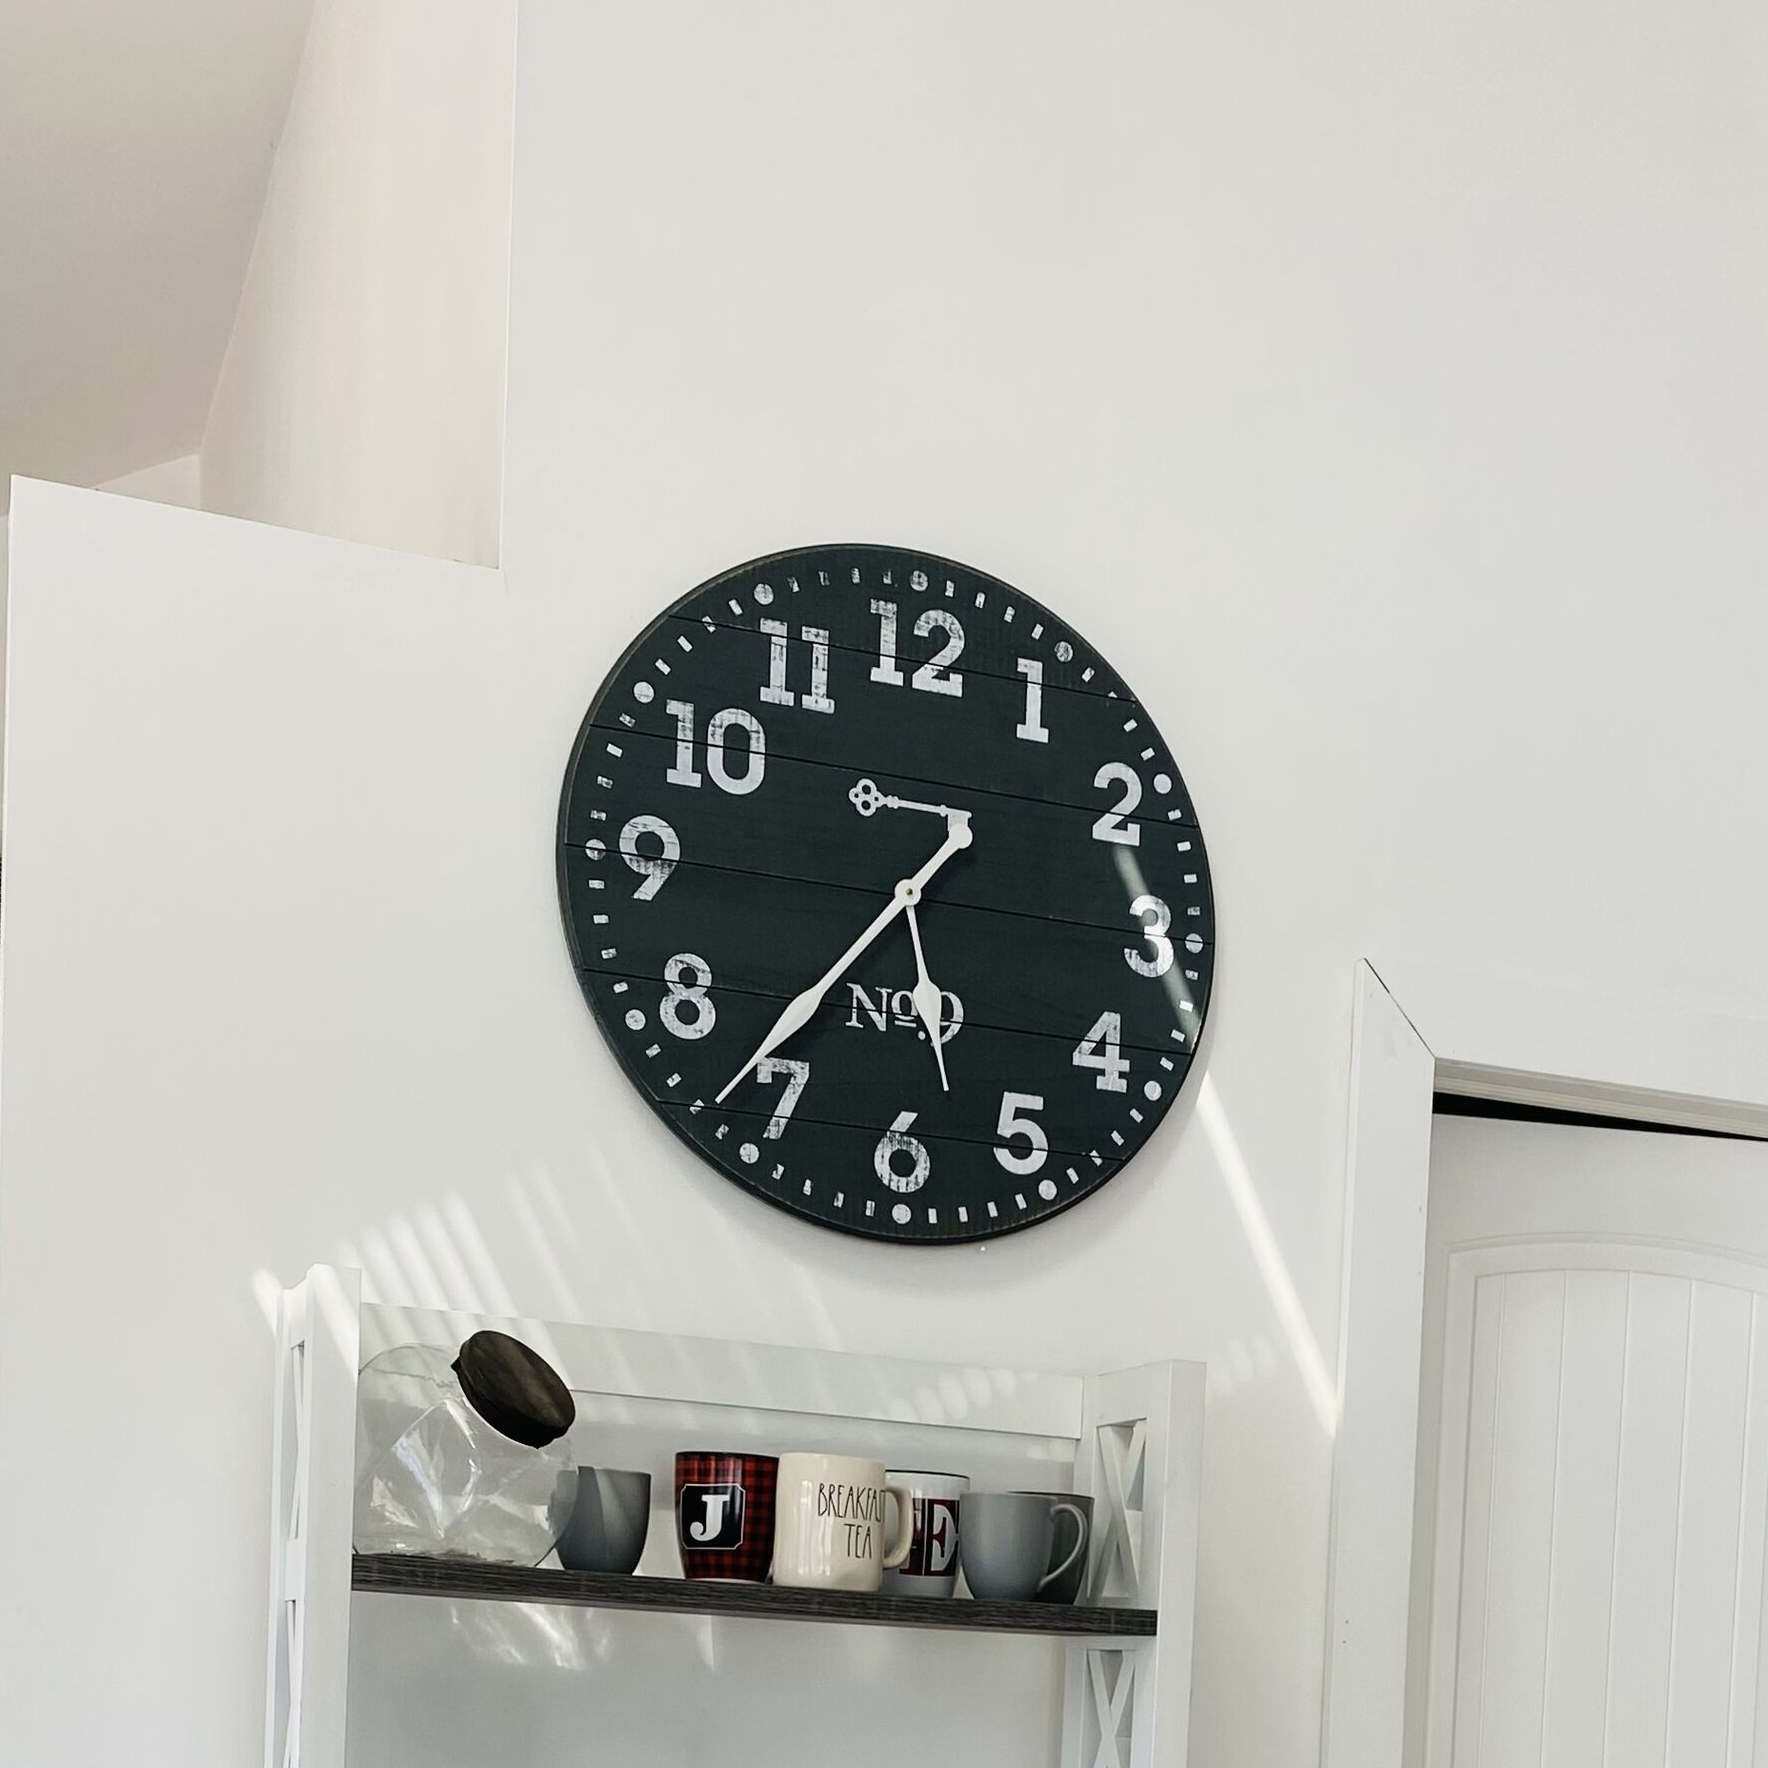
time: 5:36
